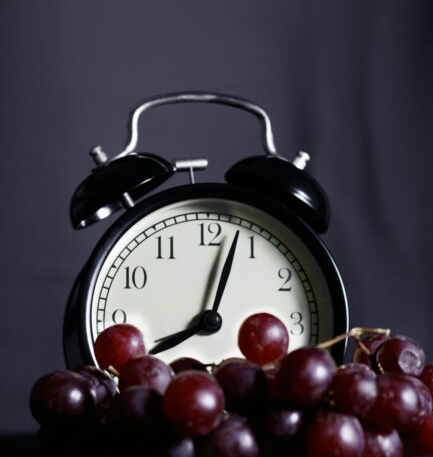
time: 8:03
